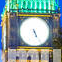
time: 5:25
